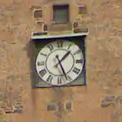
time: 1:26
